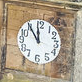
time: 11:54
